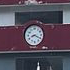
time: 8:19
